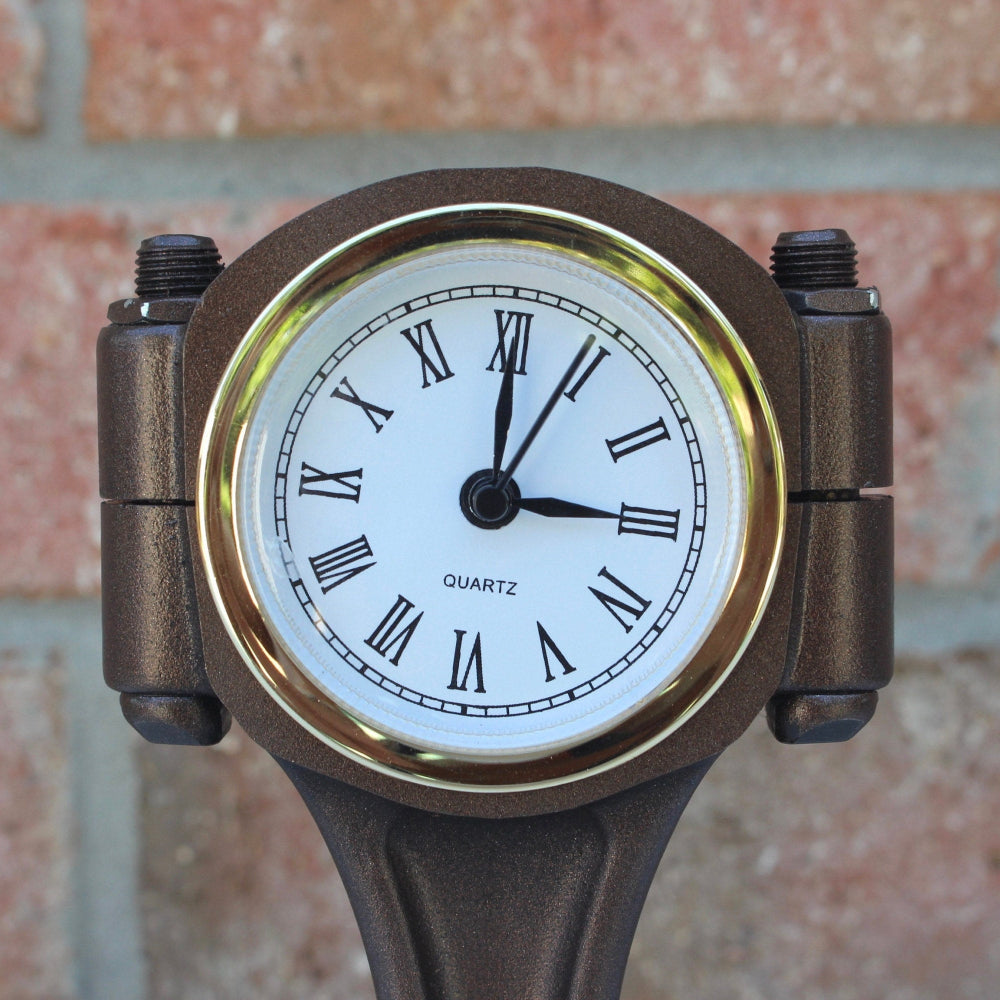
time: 3:00
